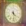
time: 4:28
